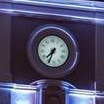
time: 7:34
